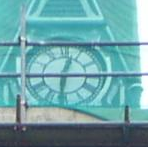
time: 12:31
